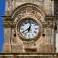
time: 8:02
